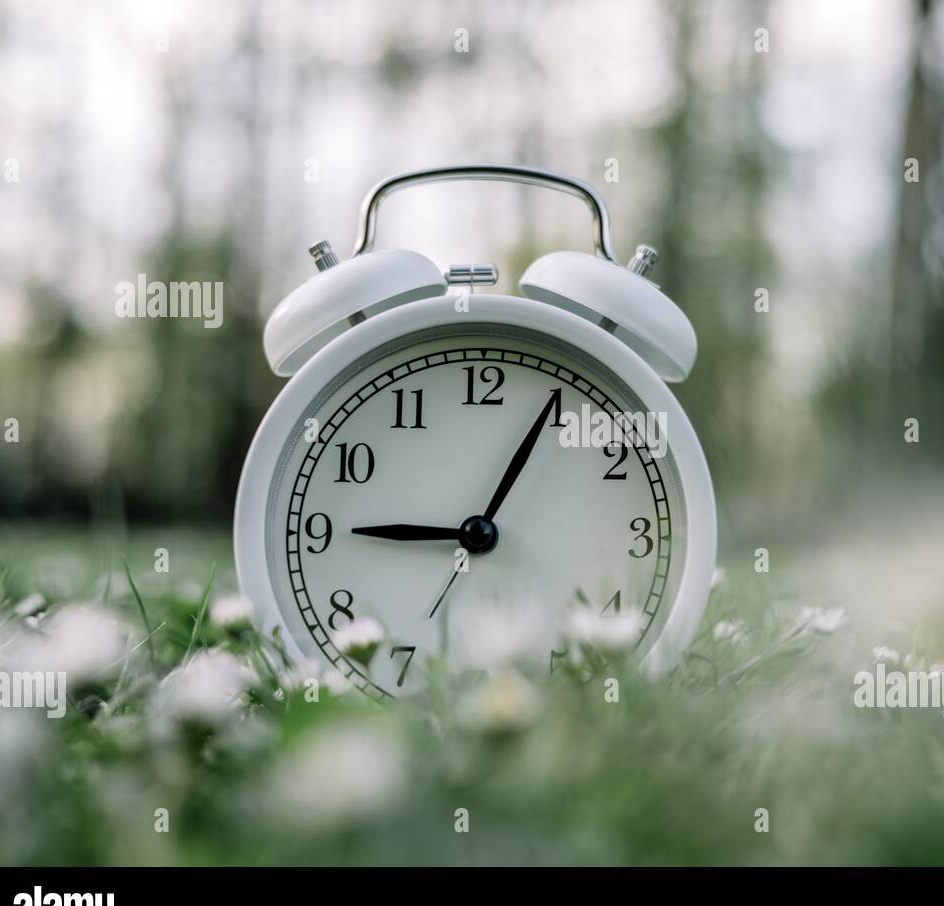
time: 9:05
